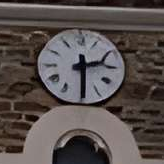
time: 2:29
